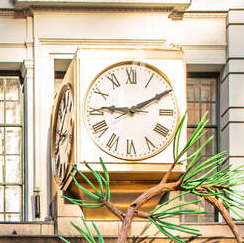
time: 9:10
